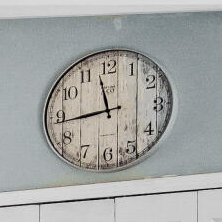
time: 11:43
